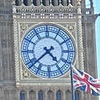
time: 4:38
